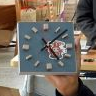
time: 5:08
